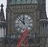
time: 11:52
